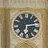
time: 6:13
